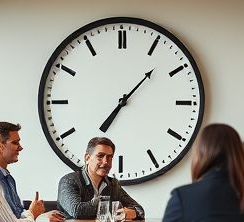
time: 7:07
